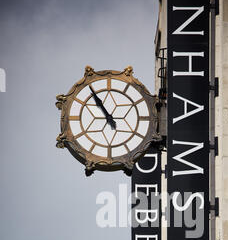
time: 10:54
